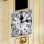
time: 12:13
